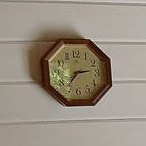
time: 7:13
